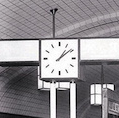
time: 1:08
